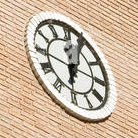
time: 12:03
